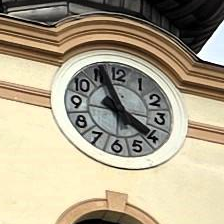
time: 3:56
